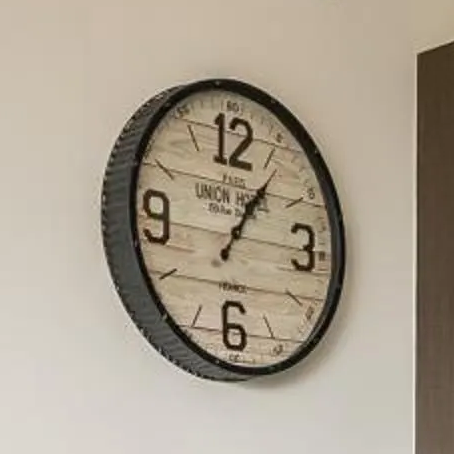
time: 1:06
